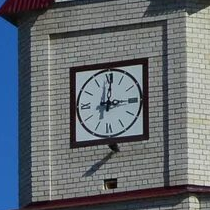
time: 12:14
